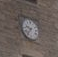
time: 9:36
